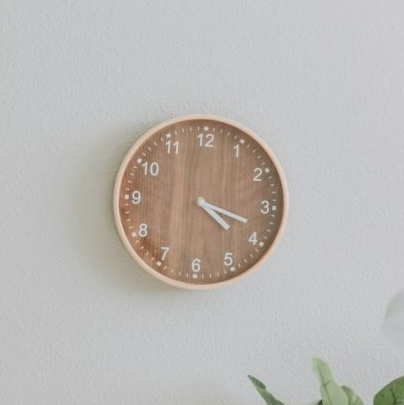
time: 4:18
